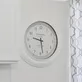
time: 9:28
